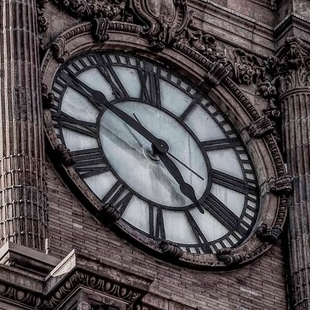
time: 4:50
